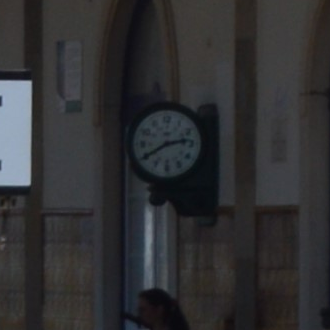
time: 2:40
